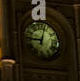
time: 9:02
